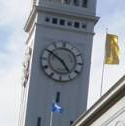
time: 4:50
